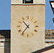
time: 10:36
